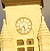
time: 5:38
